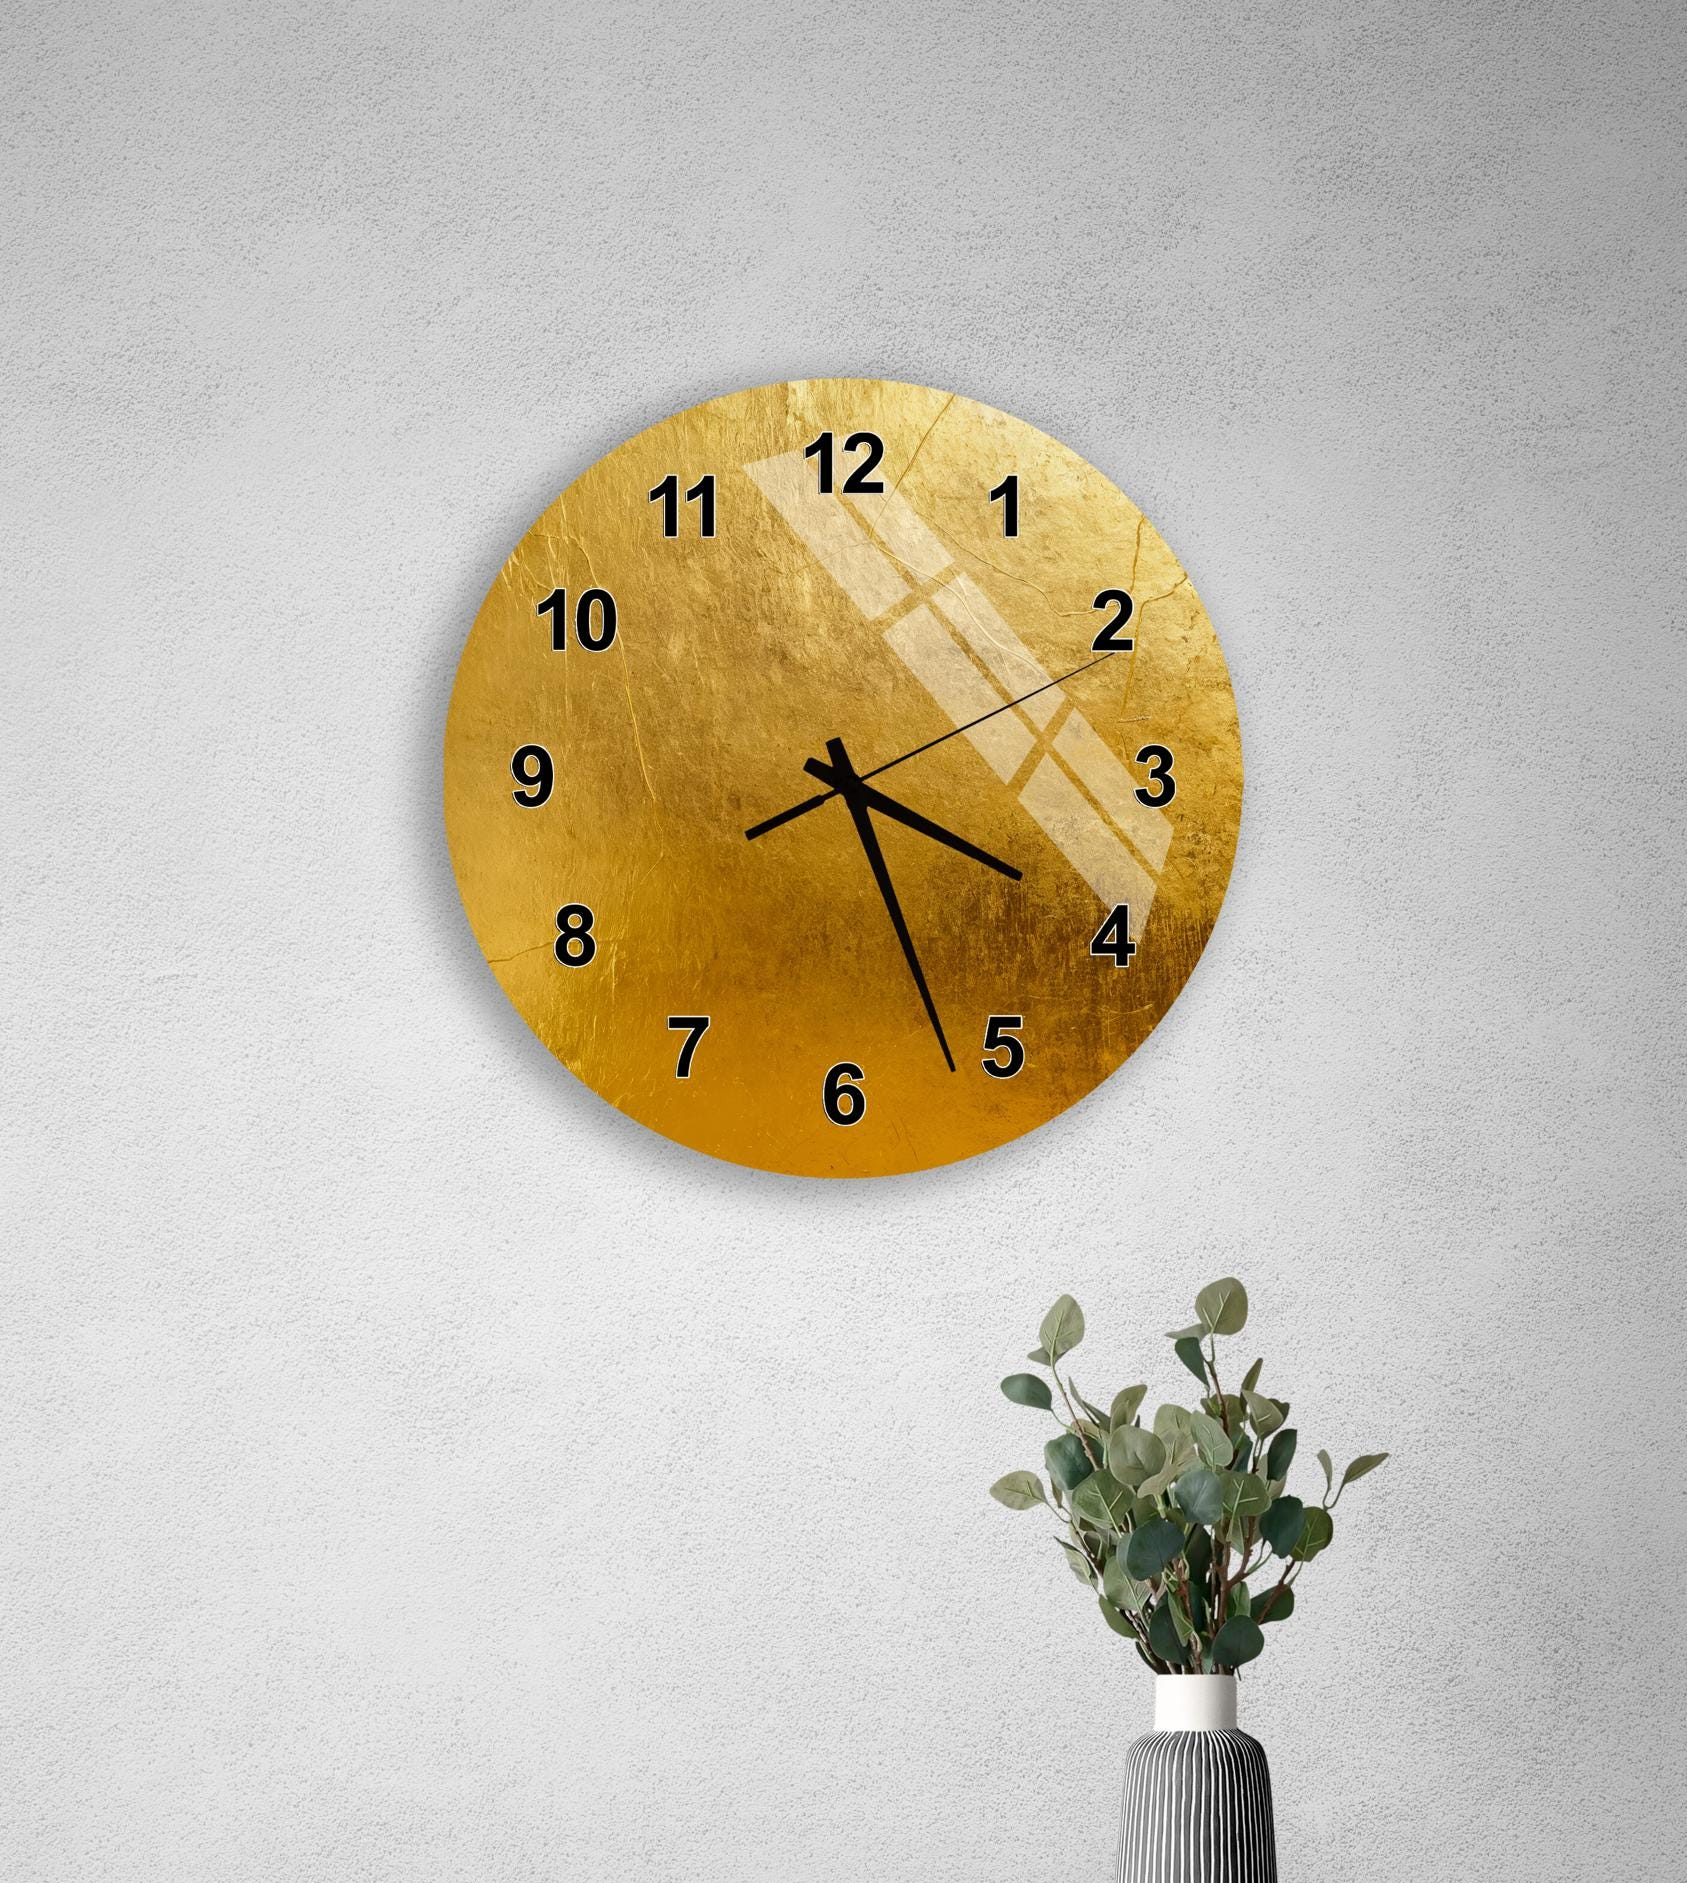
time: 3:26
